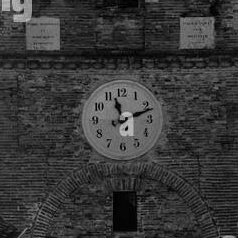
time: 11:11
